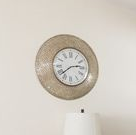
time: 2:38
